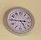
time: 4:44
